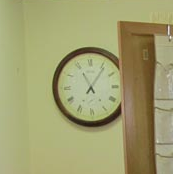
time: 11:06
